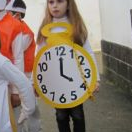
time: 4:00
